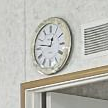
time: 12:46
